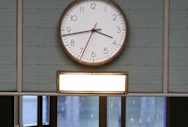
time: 3:43
